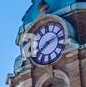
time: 8:12
